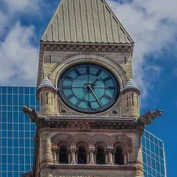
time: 1:25
